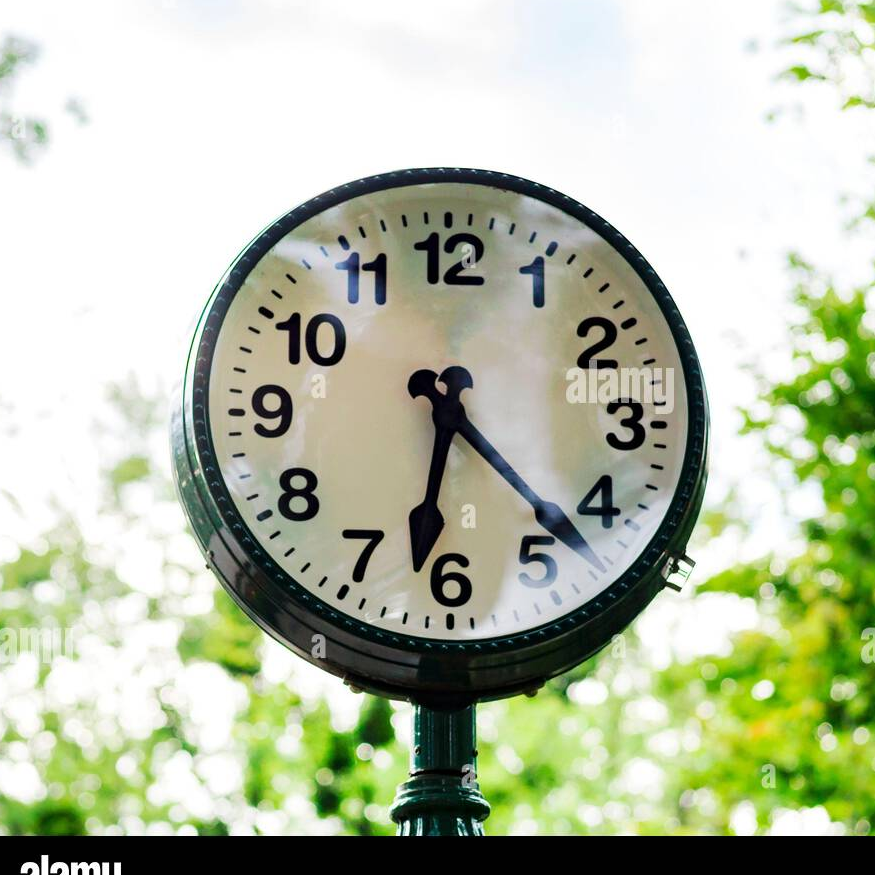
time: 6:22
